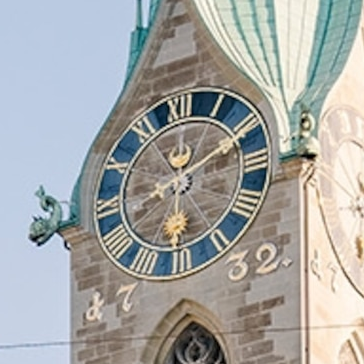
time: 6:10
